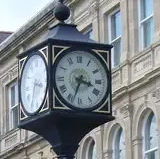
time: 3:33
